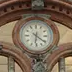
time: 6:20
